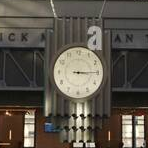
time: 3:14
